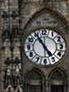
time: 4:54
